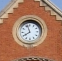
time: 7:57
